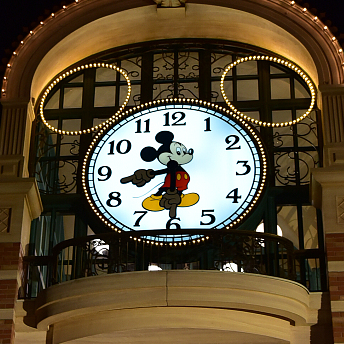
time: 8:30
